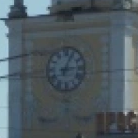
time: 3:04
